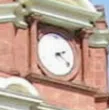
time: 2:21
